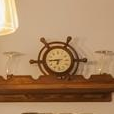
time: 6:43
